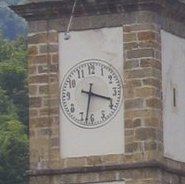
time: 3:32
